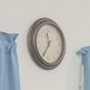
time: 11:35
